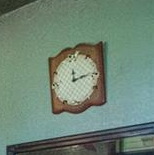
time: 12:13
